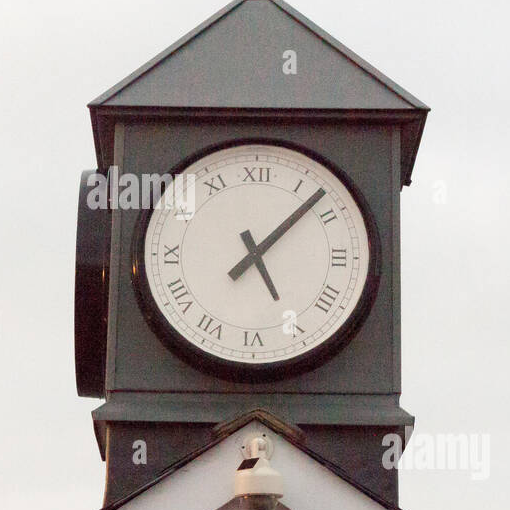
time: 5:07
